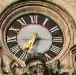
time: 7:15
